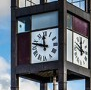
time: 11:47
